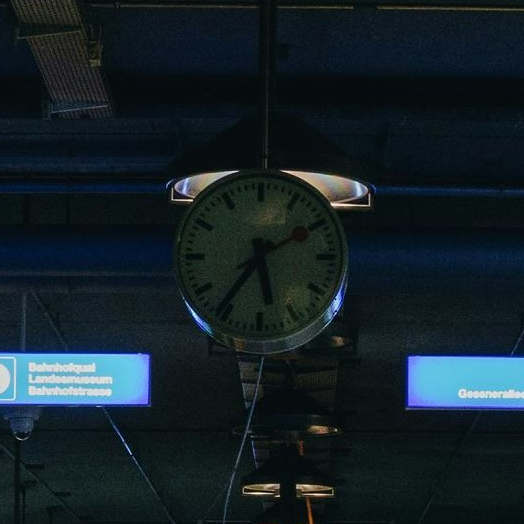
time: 5:36
